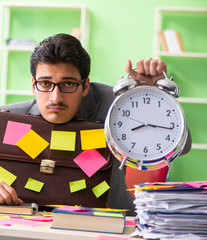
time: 8:16
